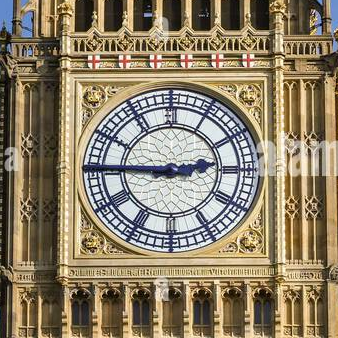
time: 2:45
